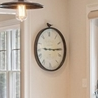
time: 9:14
